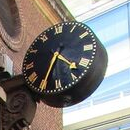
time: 4:34
